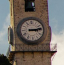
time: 3:13
